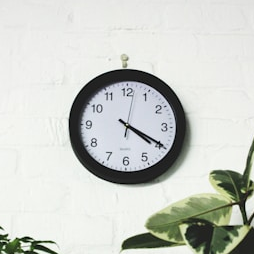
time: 4:19
